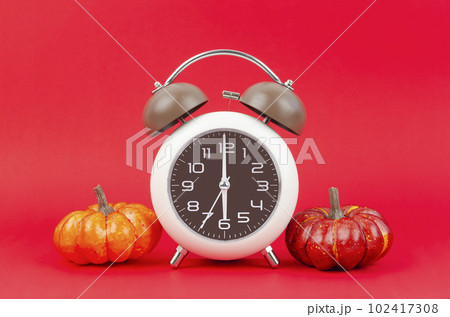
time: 6:00
